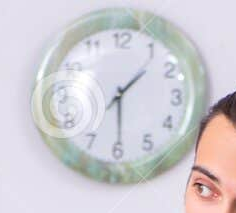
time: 1:29
